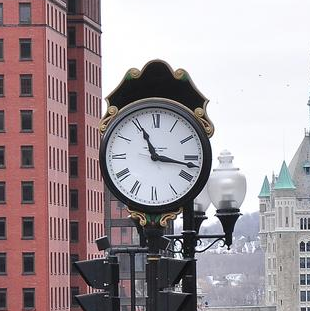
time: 11:16
